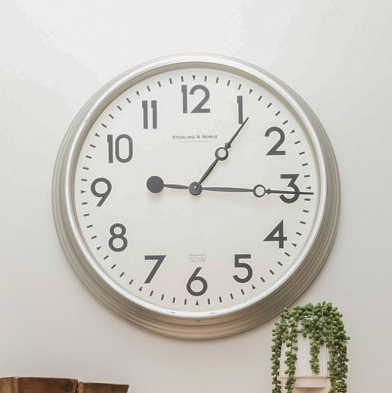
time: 1:15
